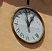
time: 12:58
